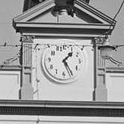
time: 1:24
